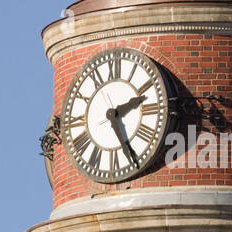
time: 2:25
